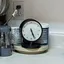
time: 5:26
